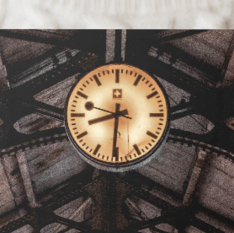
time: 8:30
